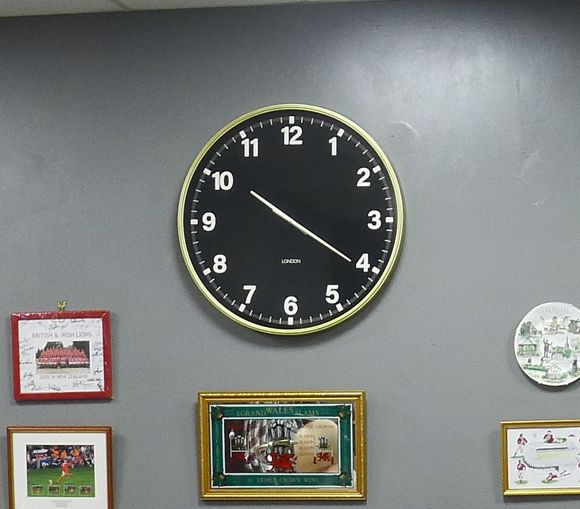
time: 10:20
